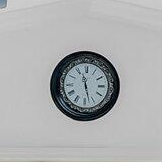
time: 11:27
